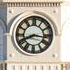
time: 8:16
